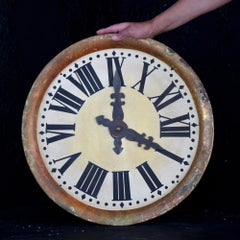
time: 4:00
